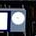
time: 4:12
